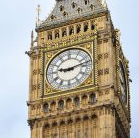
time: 9:12
